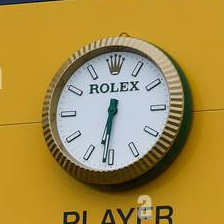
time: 6:31
